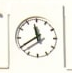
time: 11:39
